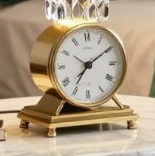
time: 7:09
